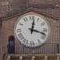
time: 12:18
